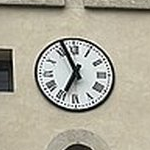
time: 6:56
